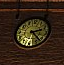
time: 2:22
